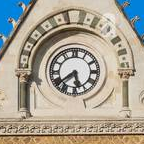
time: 5:38
